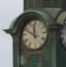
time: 11:49
